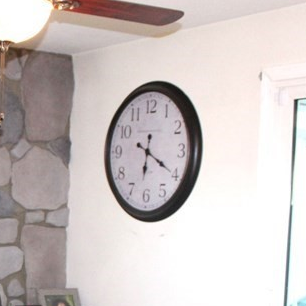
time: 6:20
